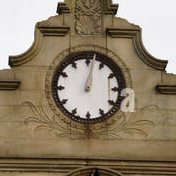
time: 1:02
